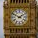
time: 1:50
